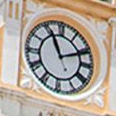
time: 11:11
